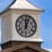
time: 12:03
